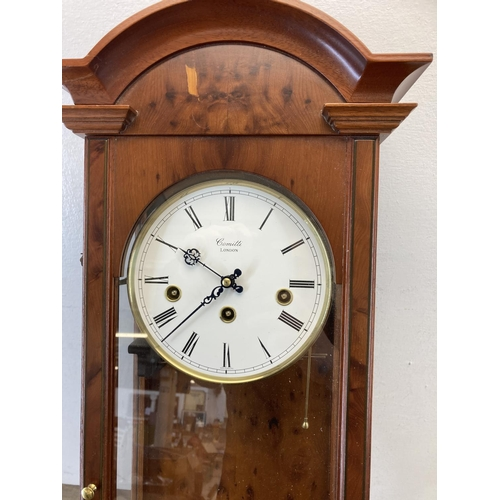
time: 7:50
